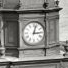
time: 3:02
